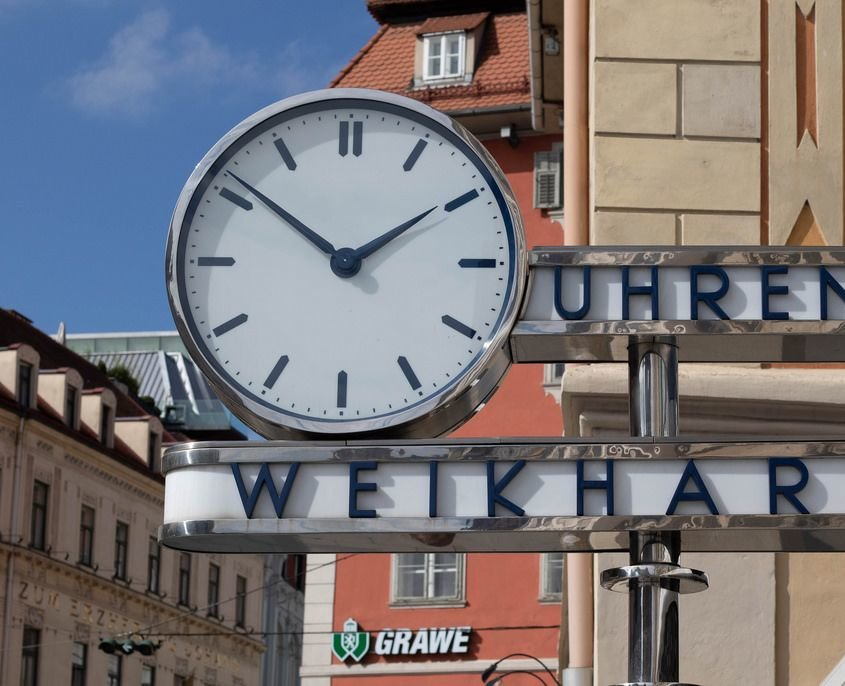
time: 1:51
